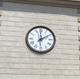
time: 1:59
